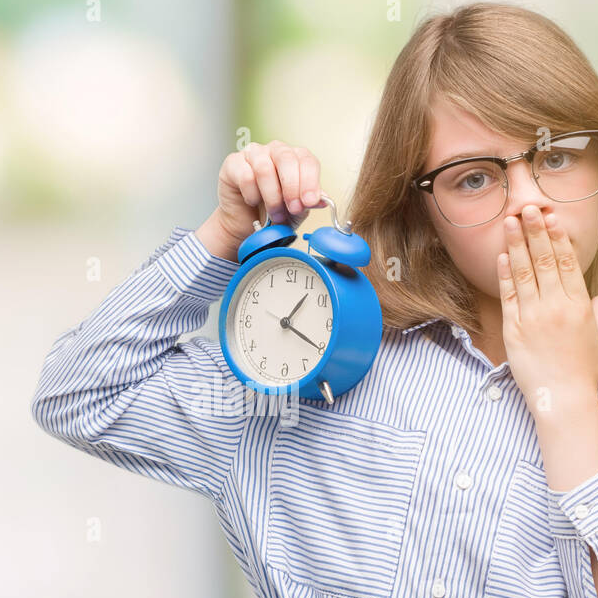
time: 1:20
